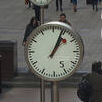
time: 1:04
